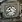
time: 10:41
